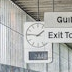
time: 1:46
